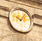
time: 10:07
